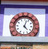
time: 4:02
